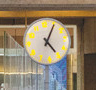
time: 5:05
